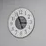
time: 2:56
